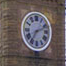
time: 7:11
